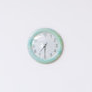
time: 7:30
